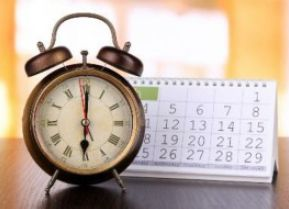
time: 6:00
